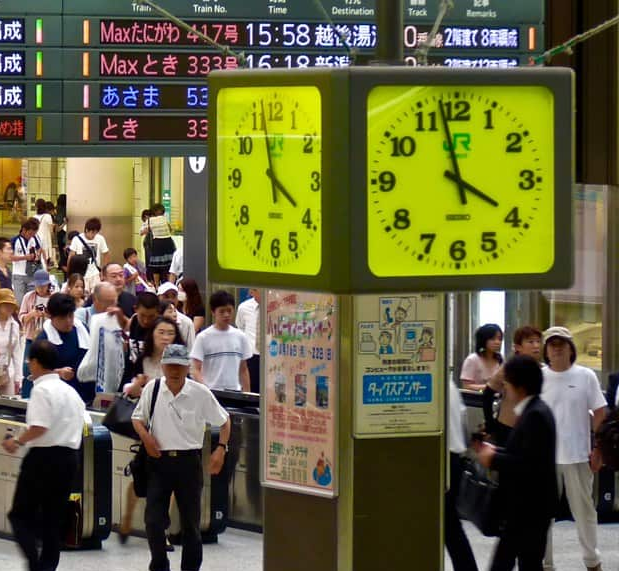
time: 3:58
